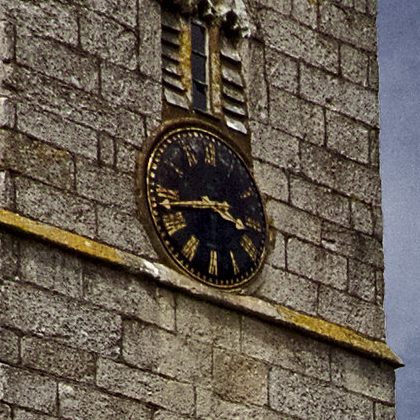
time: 3:43
